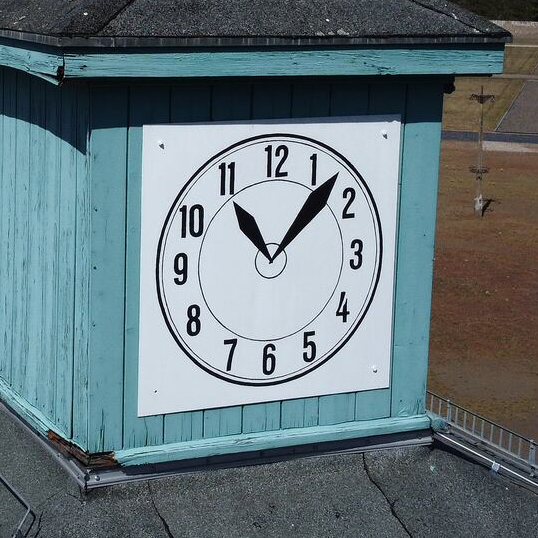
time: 11:07
